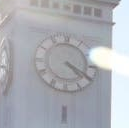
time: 4:19
